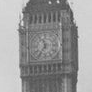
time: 11:35
